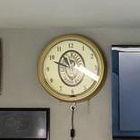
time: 10:48
